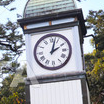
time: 2:02
